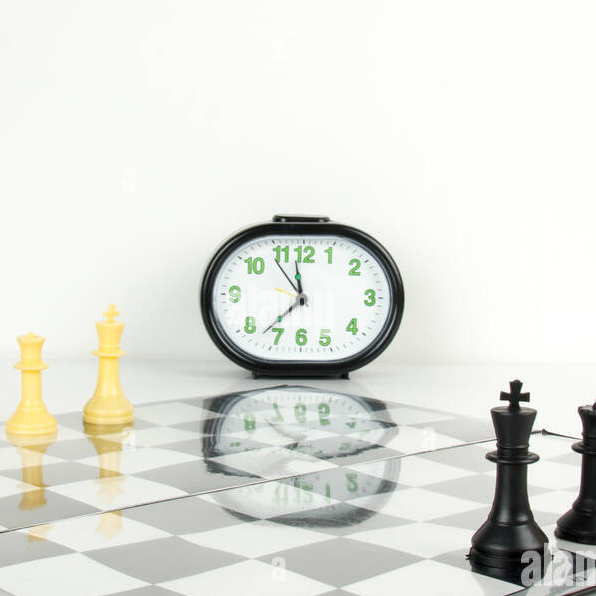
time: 11:37
